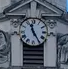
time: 11:24
